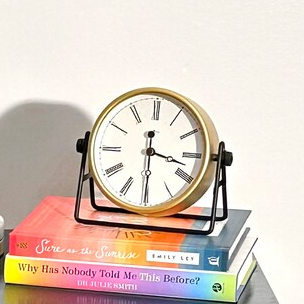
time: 3:29
